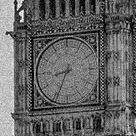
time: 8:34
